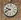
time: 9:41
